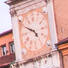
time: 4:49
